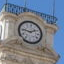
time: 1:46
